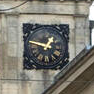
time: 12:47
